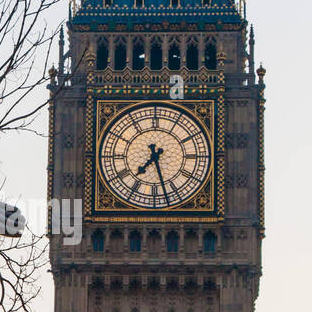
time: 7:27
